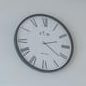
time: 2:21
